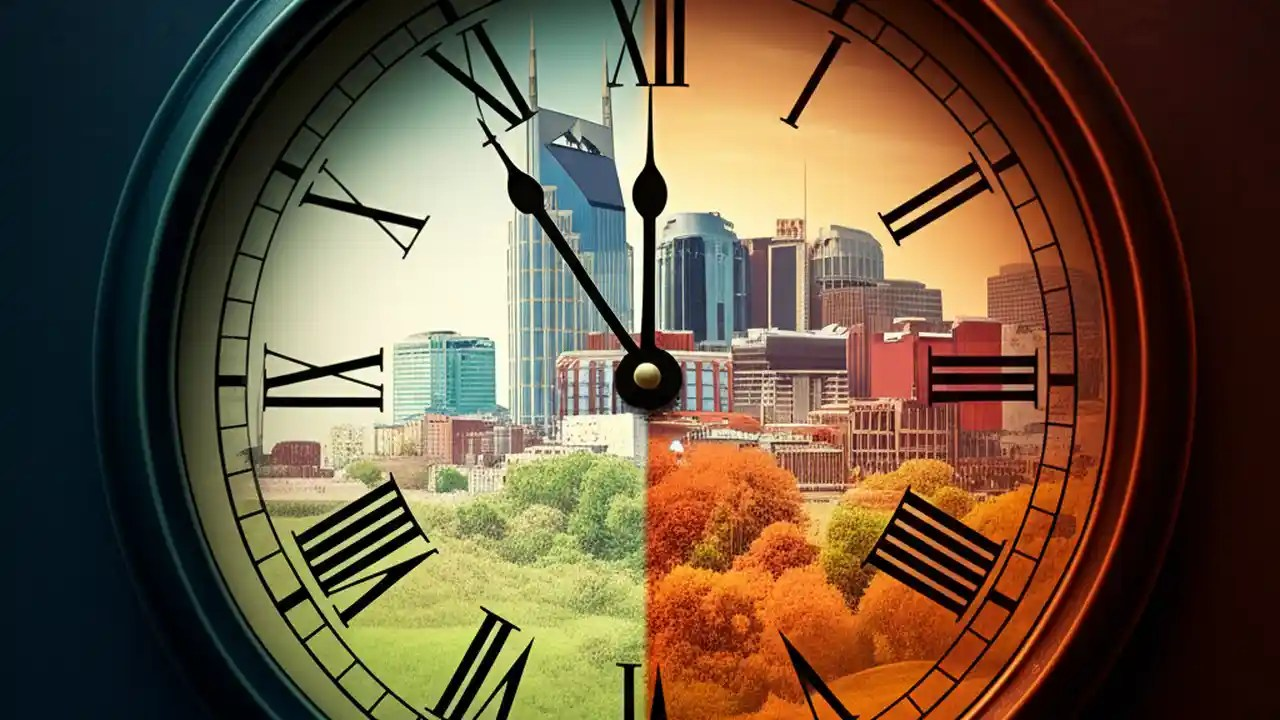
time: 11:54
